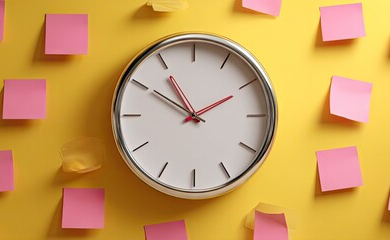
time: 10:50
